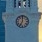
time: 7:00
